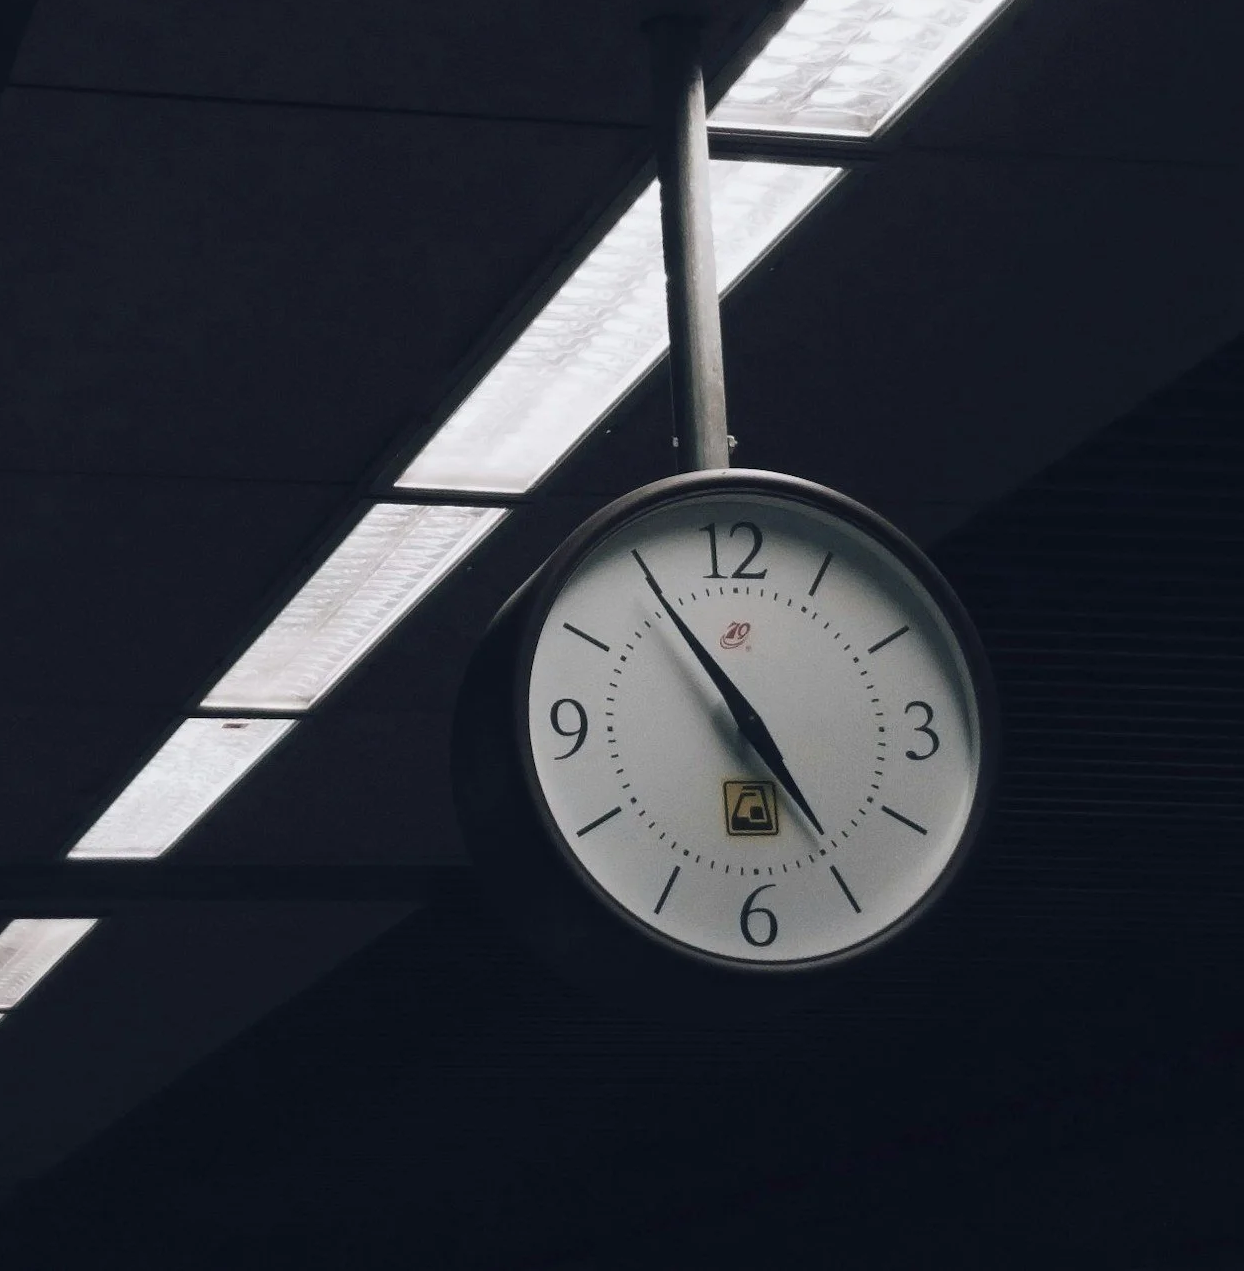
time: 4:54
